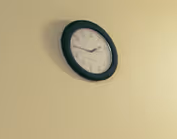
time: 1:44
